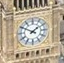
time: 1:50
